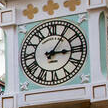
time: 3:05
